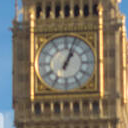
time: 1:03
